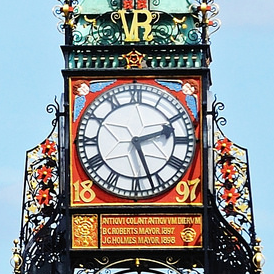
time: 2:26
